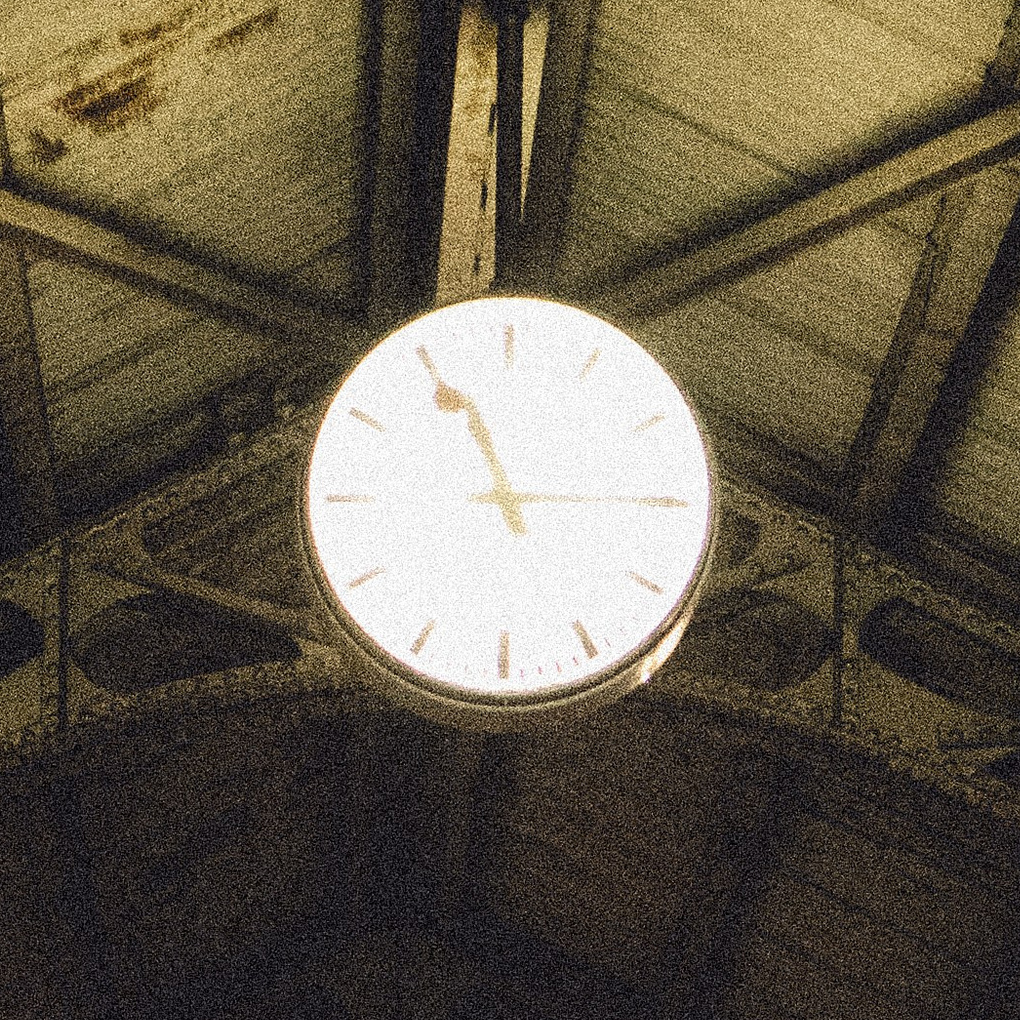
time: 11:14
